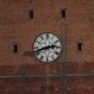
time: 2:42
